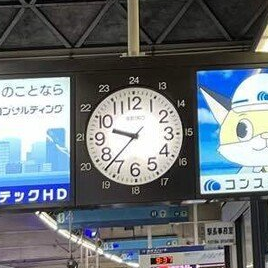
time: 9:37
